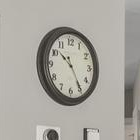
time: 10:24
